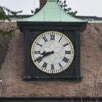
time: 8:40
